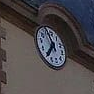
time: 6:56
